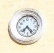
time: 7:22
